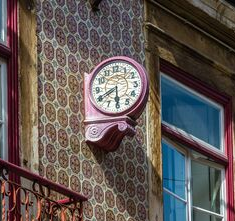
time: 5:40
